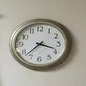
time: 3:38
